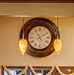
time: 11:09
